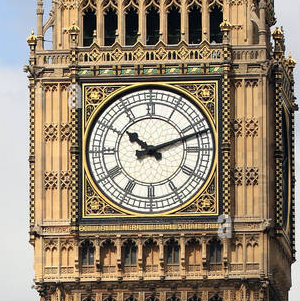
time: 10:11
